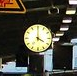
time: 4:00
